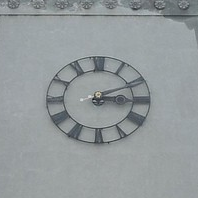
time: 3:11
